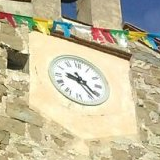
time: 9:22
